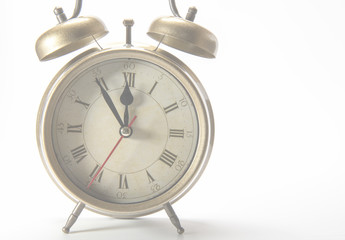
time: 11:54
